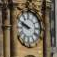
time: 9:48
